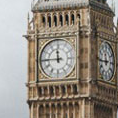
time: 11:44
